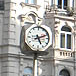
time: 5:11
